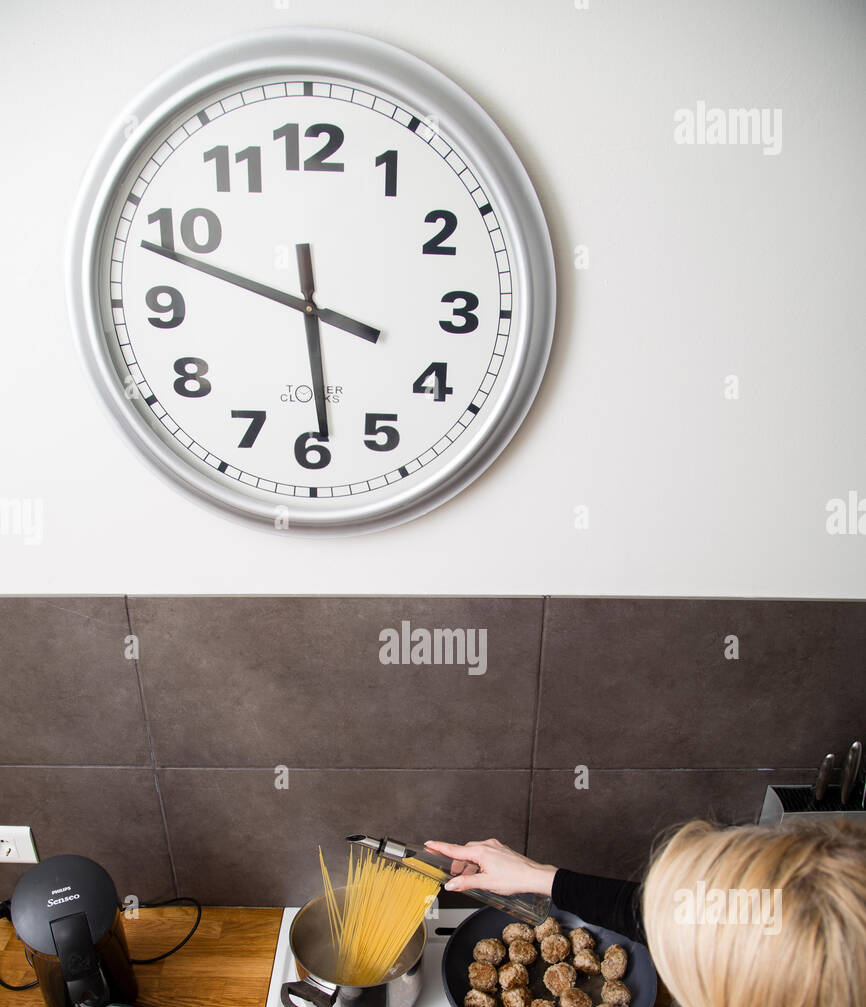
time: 5:48
